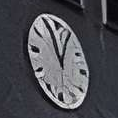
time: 11:04
